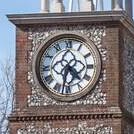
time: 4:31
